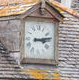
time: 3:13
